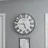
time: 5:26
